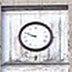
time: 9:49
